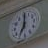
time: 7:01
